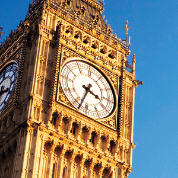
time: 3:33
